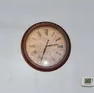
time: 2:33
